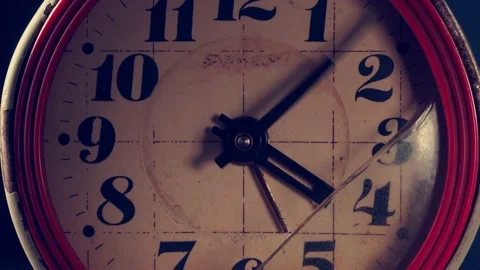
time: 4:07
